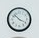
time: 3:52
